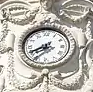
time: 7:40
